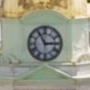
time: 2:55
